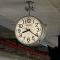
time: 8:20
